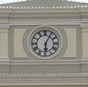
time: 6:05
